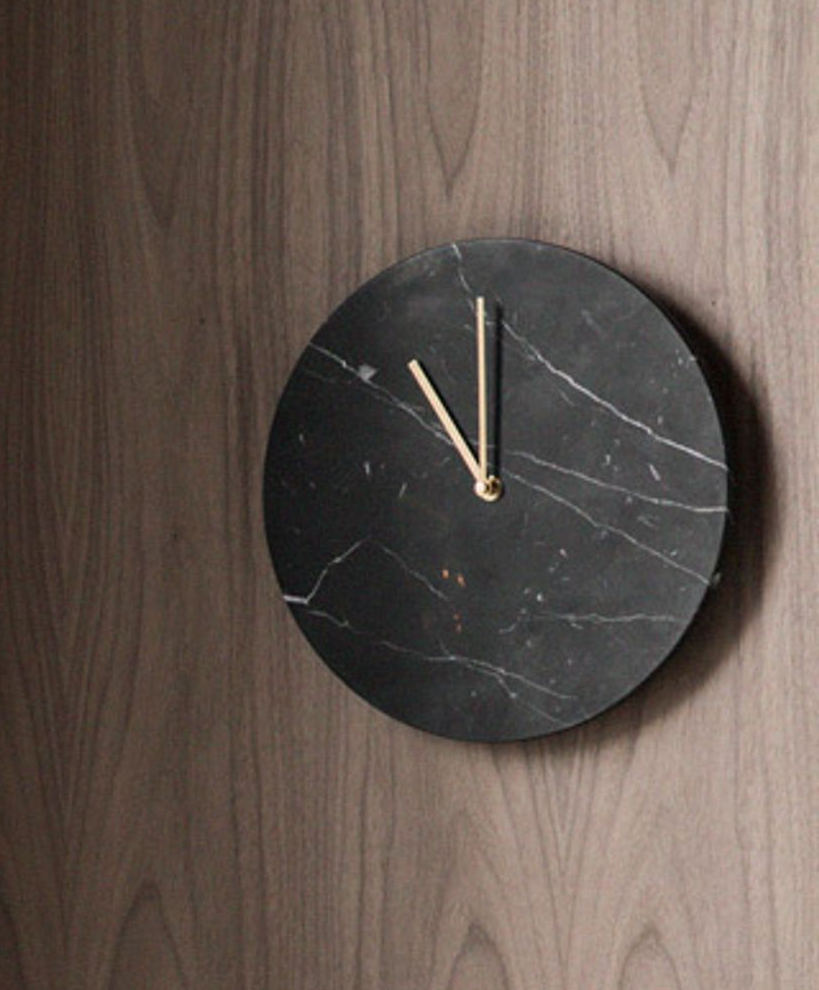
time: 11:52
